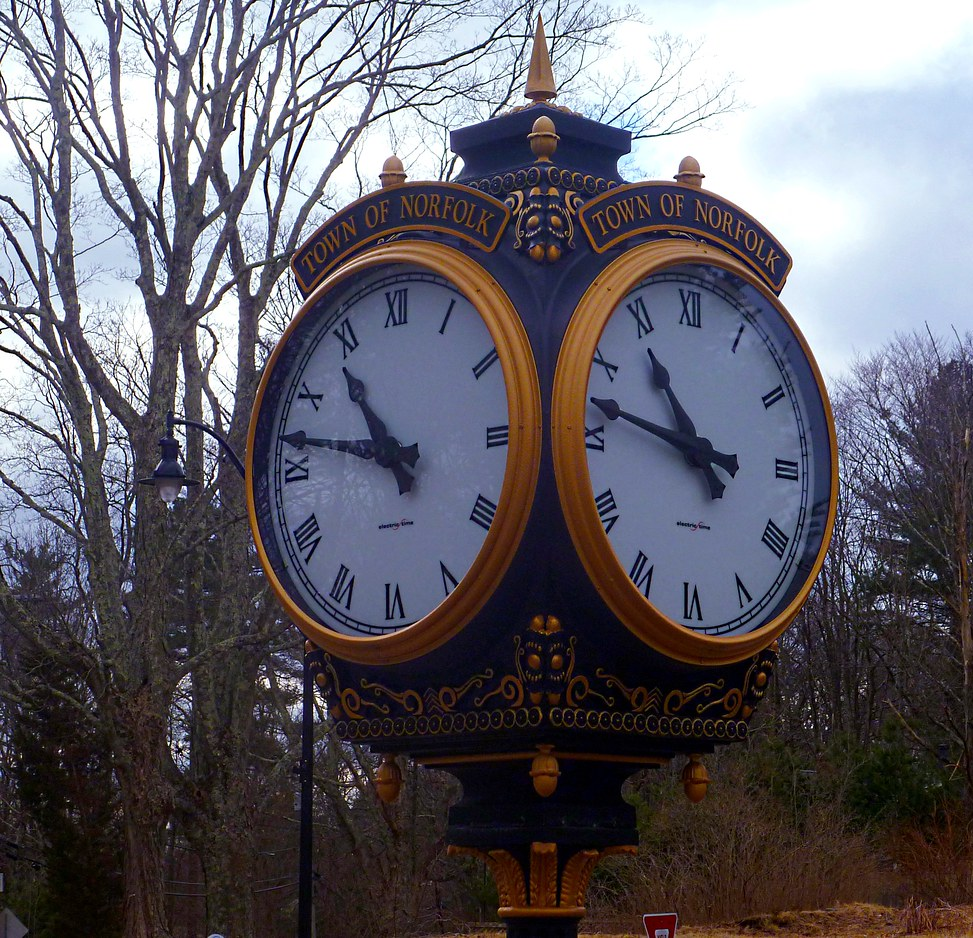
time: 10:47
